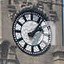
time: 2:06
